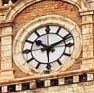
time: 10:11
